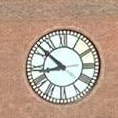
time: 8:51
